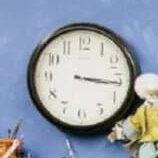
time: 3:16
